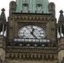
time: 12:23
